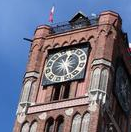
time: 12:26
